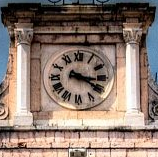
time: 3:20
